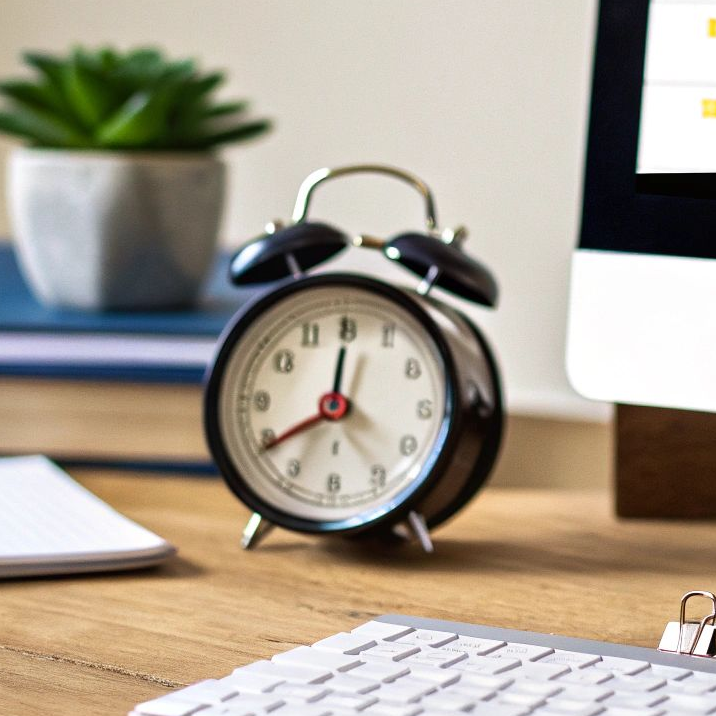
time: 8:00
